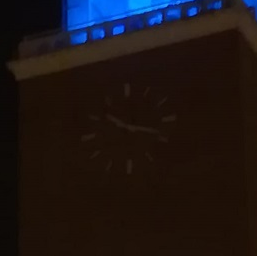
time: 10:18
